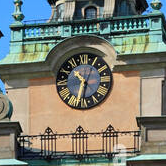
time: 10:32
